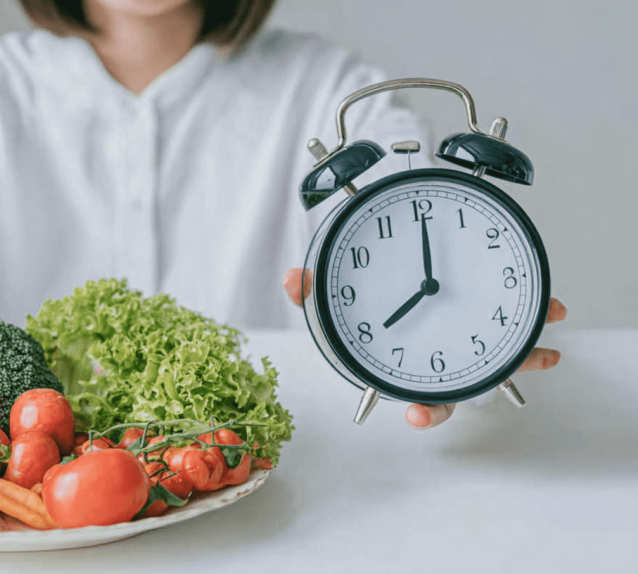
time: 8:00
